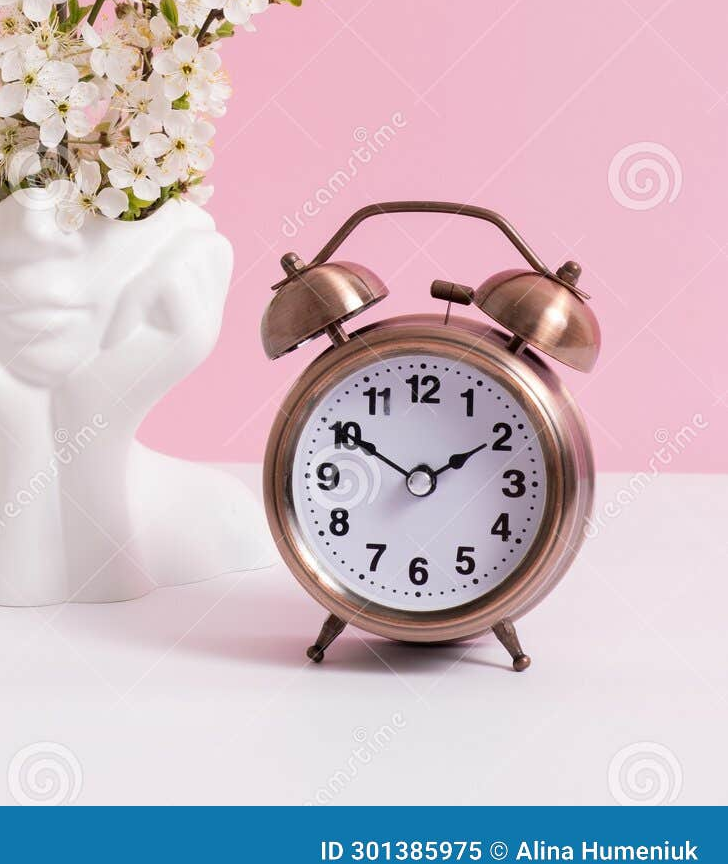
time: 1:50
